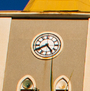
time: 4:40
